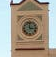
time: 2:58
